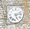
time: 5:12
